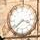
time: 3:38
